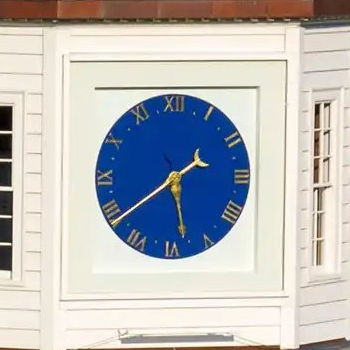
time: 5:38
